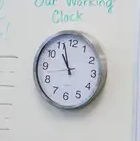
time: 10:56
